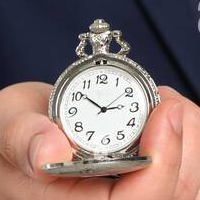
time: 2:51
